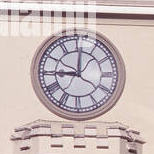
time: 9:00
